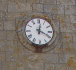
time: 12:19
